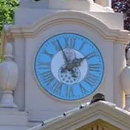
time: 1:56
